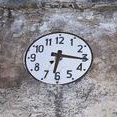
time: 6:16
